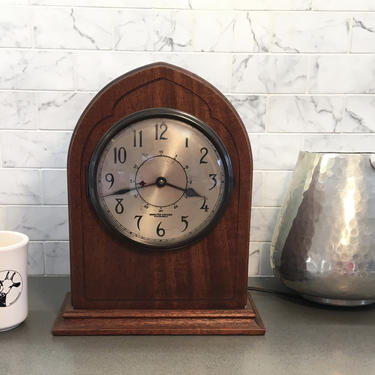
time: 3:42
